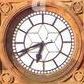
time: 6:41
